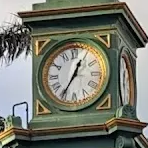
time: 12:35
